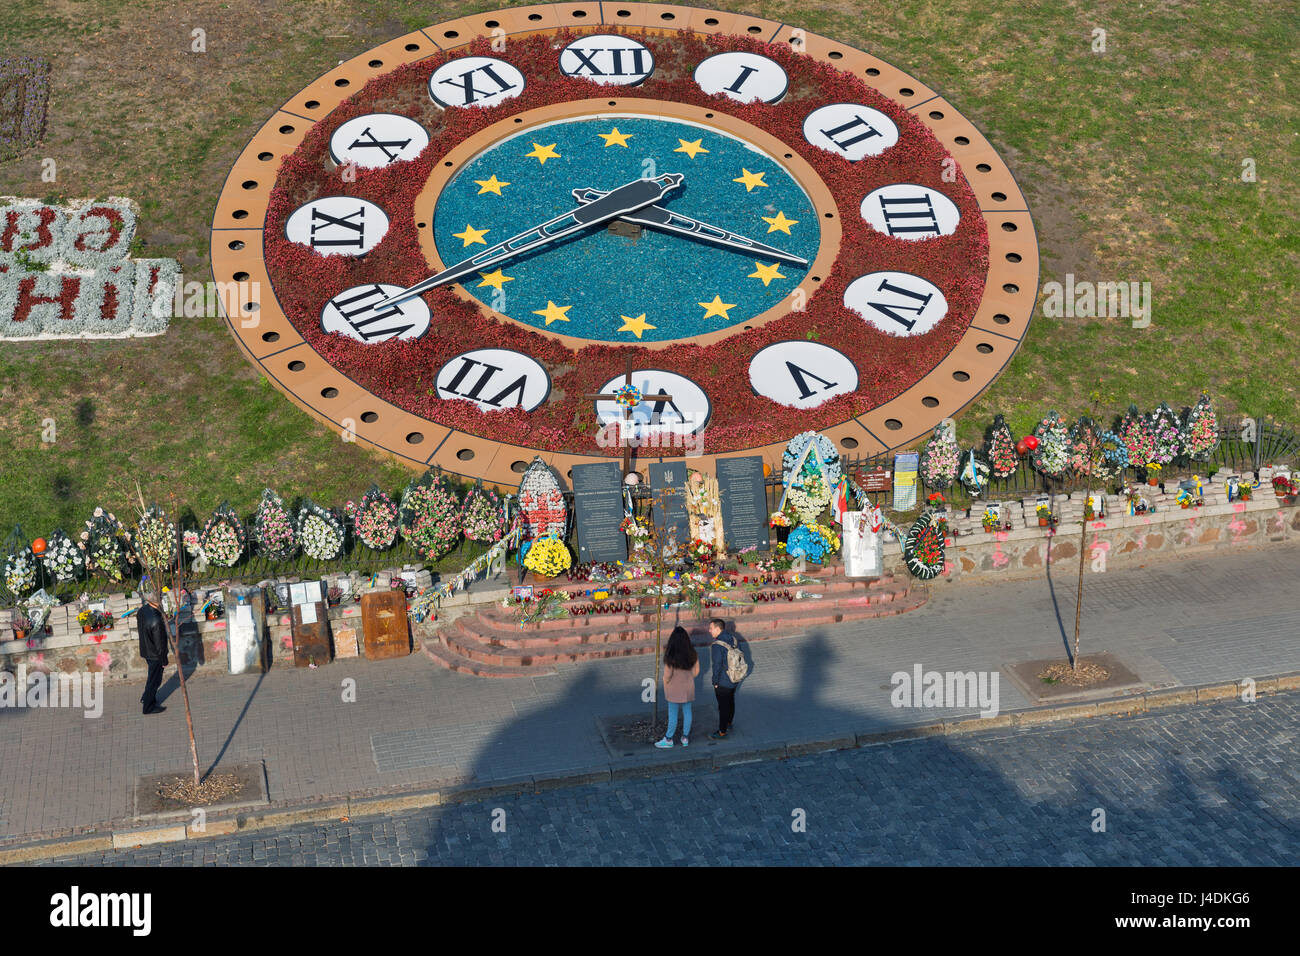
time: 3:40
